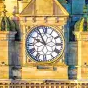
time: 9:55
